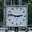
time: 2:46
